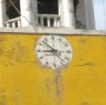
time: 8:52
